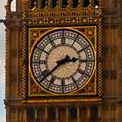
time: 2:38
